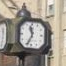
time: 11:34
